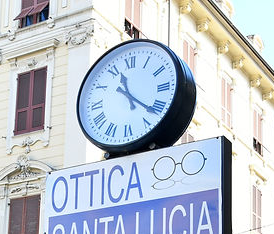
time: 11:21
